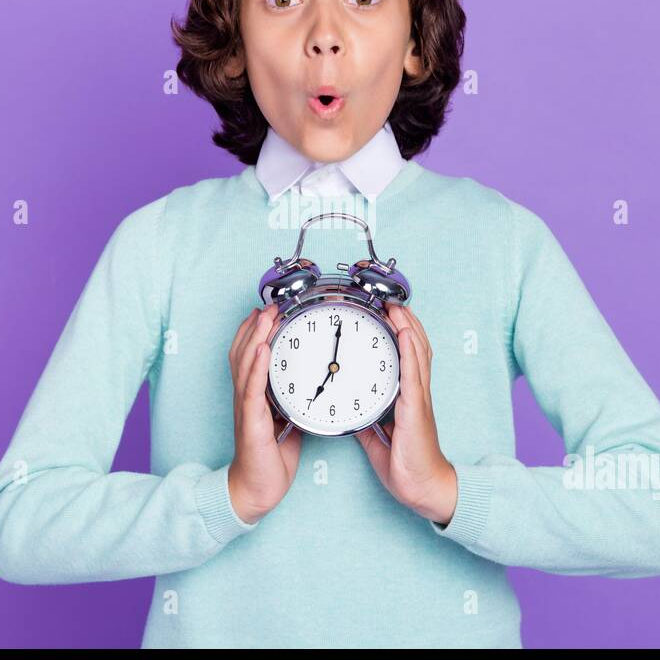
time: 7:01
